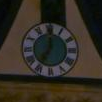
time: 7:00
